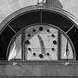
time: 11:28
